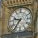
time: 9:36
